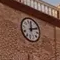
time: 12:11
